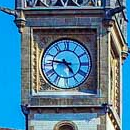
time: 4:46
